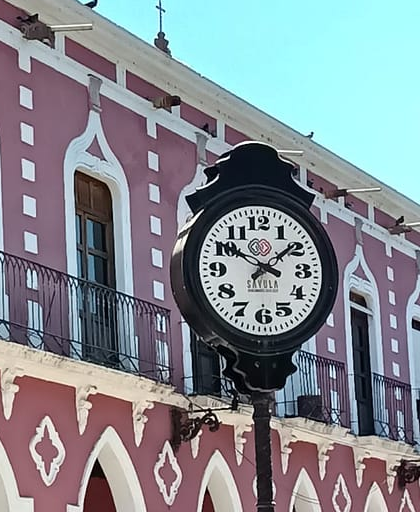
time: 1:50
